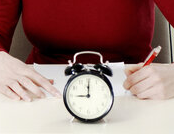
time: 9:00
